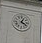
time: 4:04
